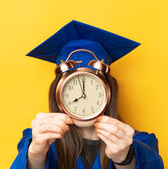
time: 8:00
